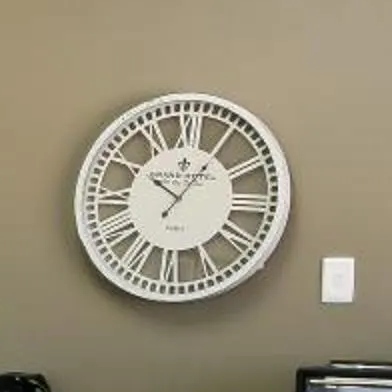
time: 10:05
